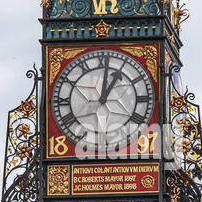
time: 1:01
